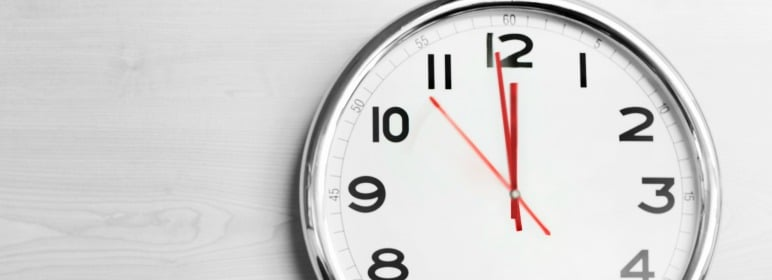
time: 11:59
